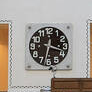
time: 3:32
